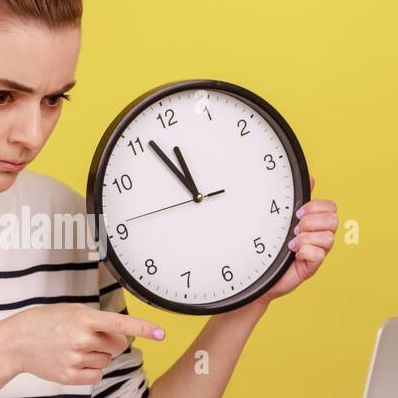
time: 11:56
